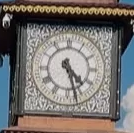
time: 4:27
